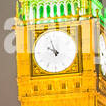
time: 9:56
